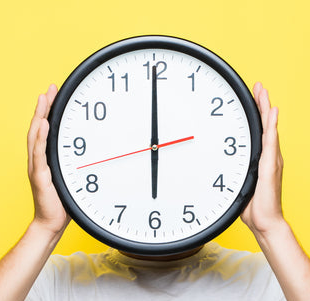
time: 5:59
